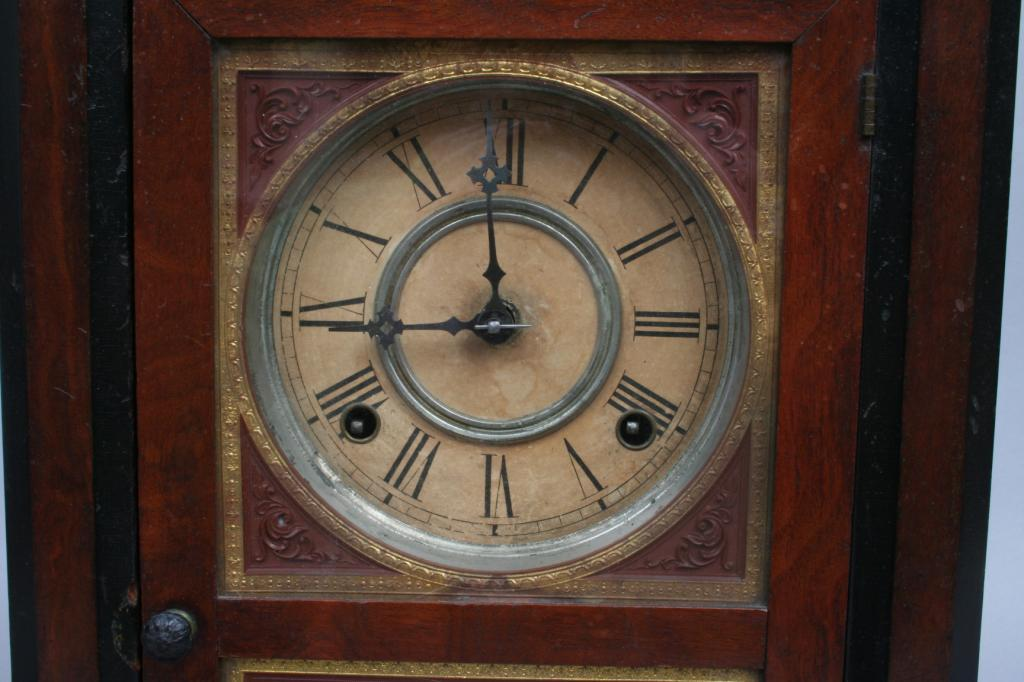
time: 11:44
